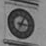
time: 3:04
